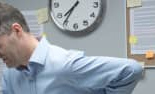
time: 7:35
